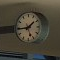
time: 1:44
